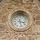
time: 3:27
